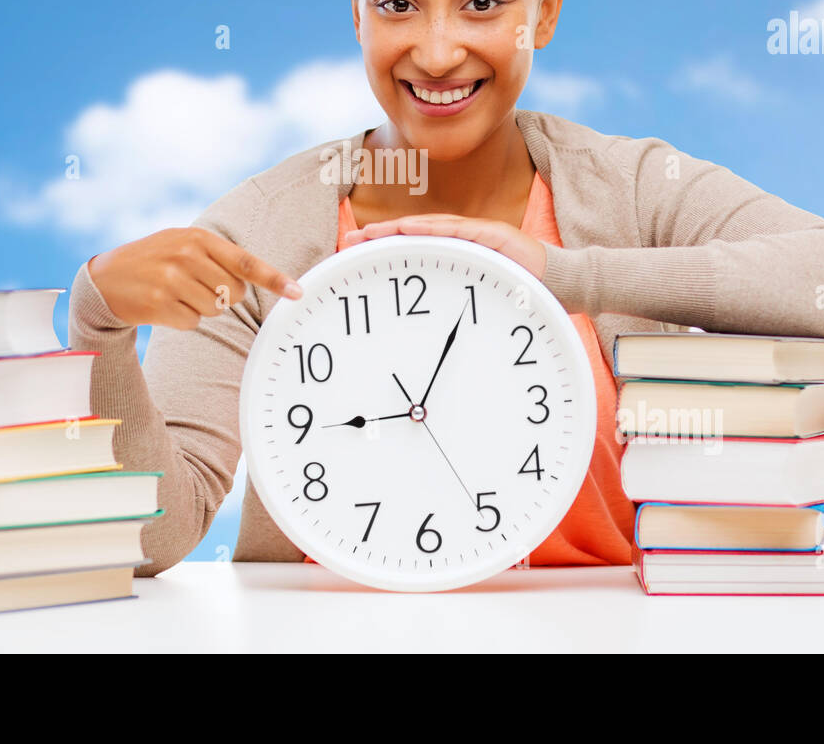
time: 9:04
